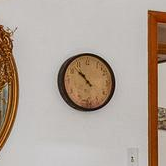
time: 10:52
